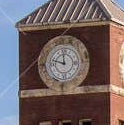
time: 11:47
